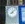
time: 8:07
